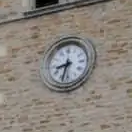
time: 8:32
